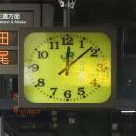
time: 12:08
